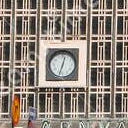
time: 12:33
